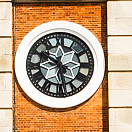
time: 5:49
